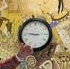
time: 8:46
